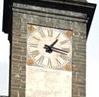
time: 1:16
